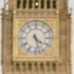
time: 4:27
